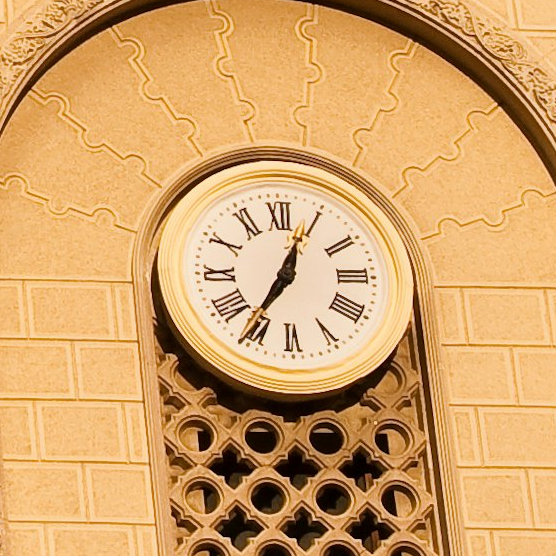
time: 12:36
